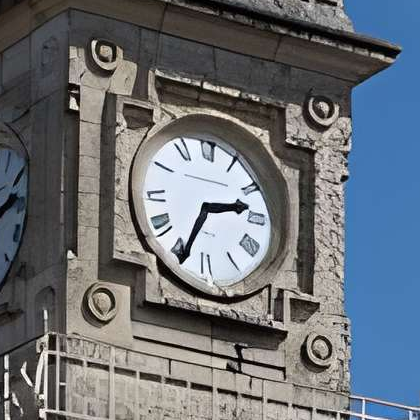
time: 2:34
